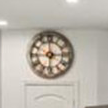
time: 6:14
